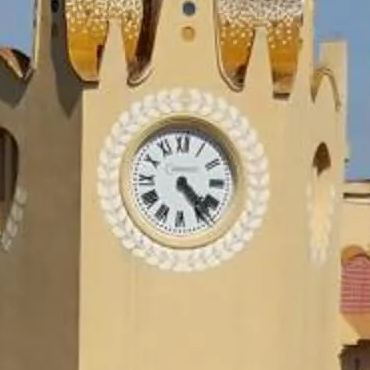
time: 4:23
